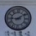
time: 9:09
